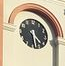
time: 4:29
